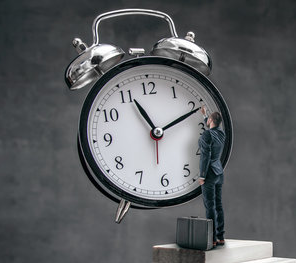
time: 11:11
